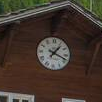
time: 1:18
